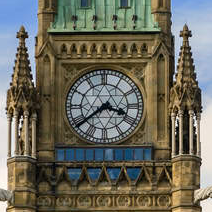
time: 3:39
